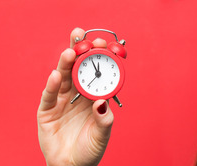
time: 11:55
